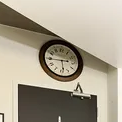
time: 5:44
